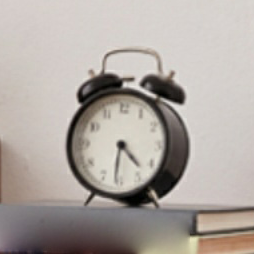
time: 4:31
